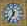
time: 11:35
